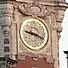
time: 9:18
